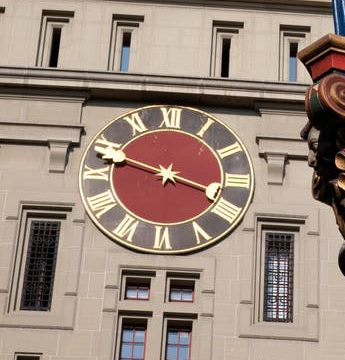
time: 3:47
